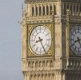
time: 8:25
